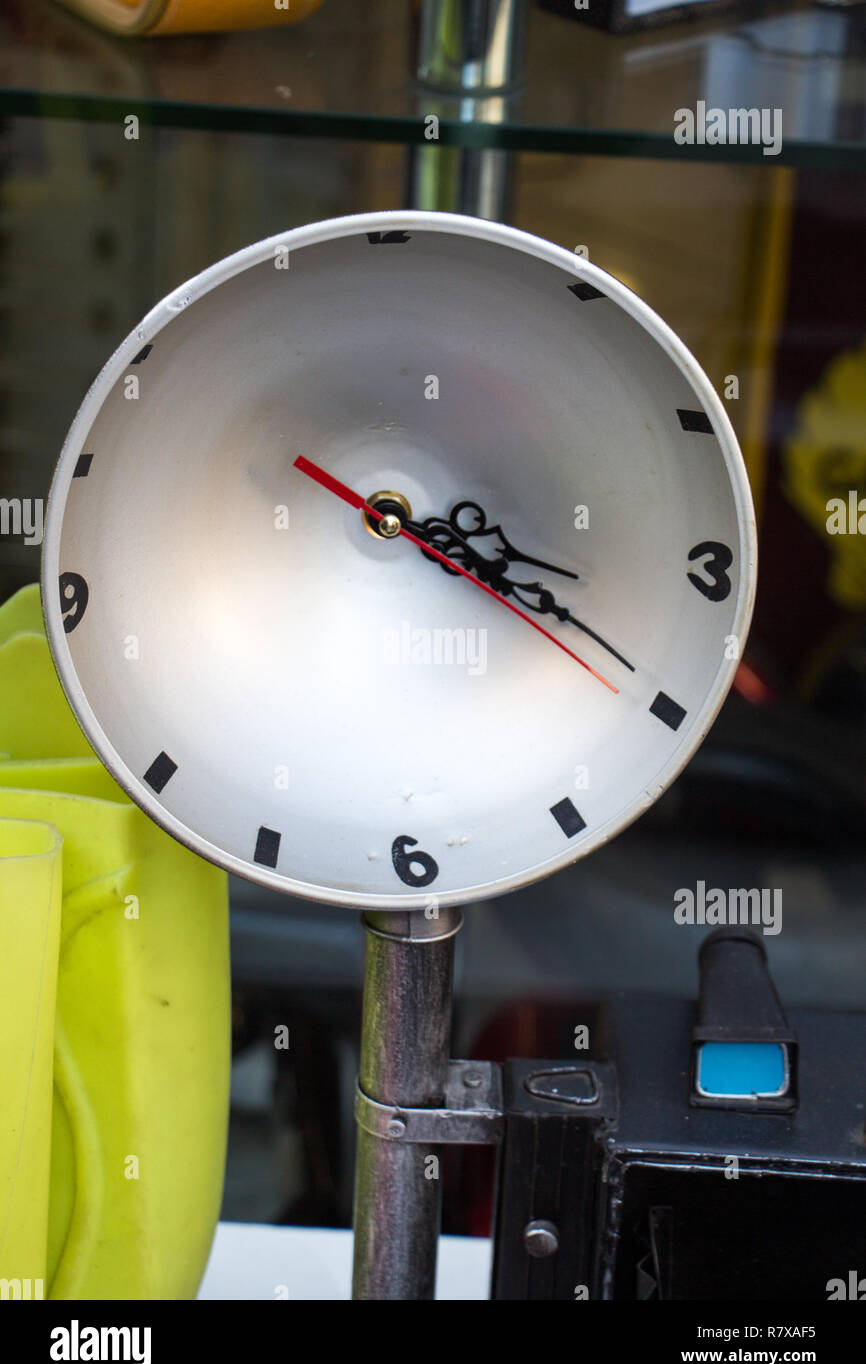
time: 3:19
